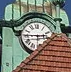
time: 2:45
